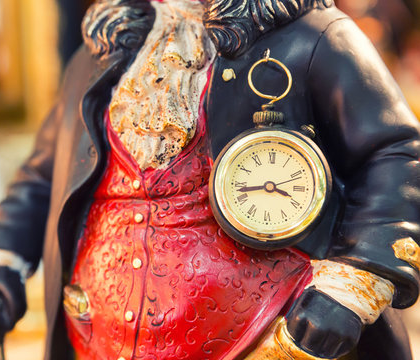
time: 3:43
